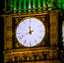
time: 11:41
